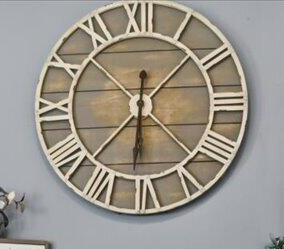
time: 1:31
